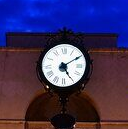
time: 5:09
